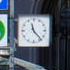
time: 11:22
